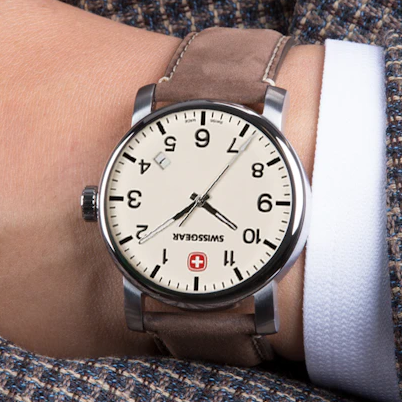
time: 4:06
